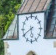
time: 5:40
